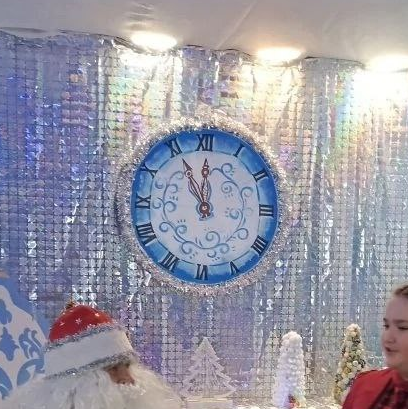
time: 11:55
